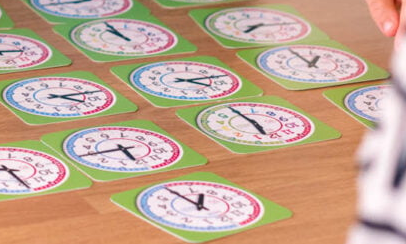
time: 12:55
